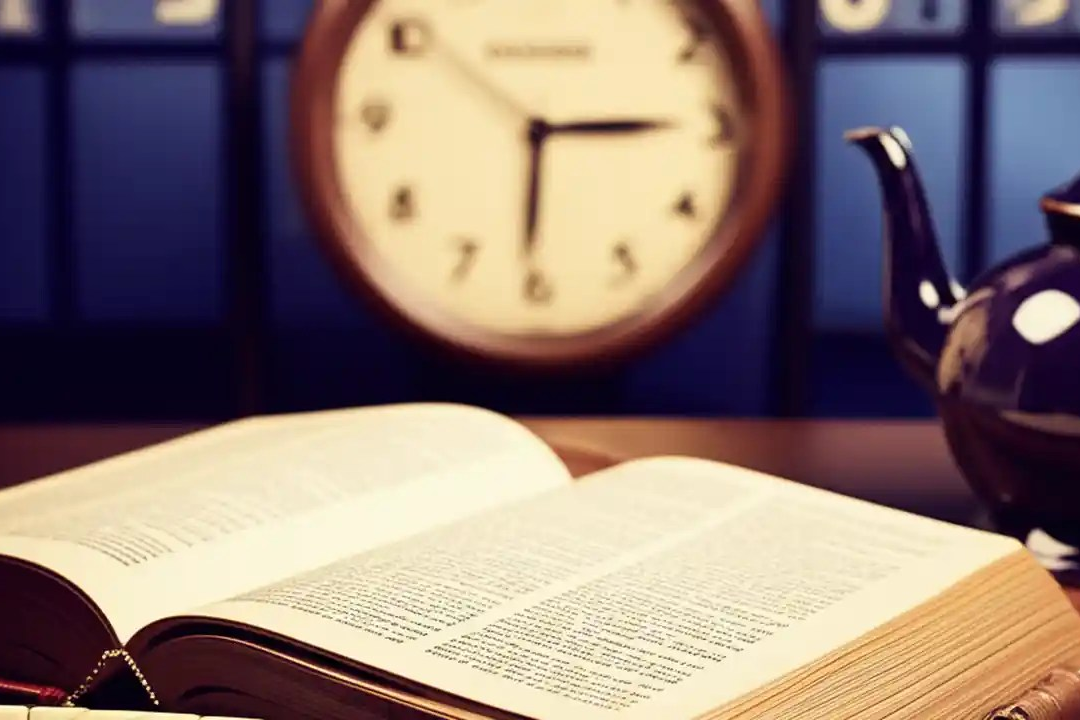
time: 6:14
